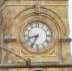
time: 8:34
